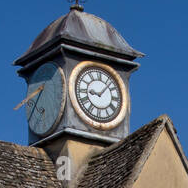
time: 9:07
